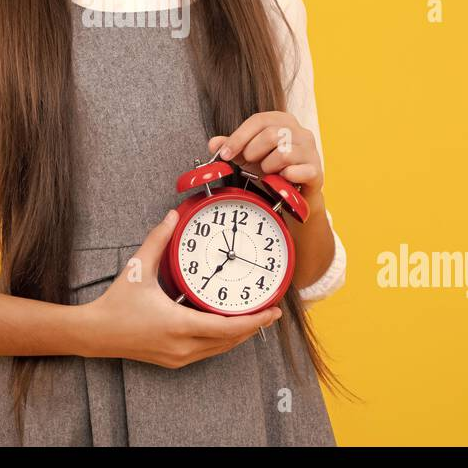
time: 6:59
